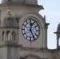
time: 12:24
